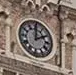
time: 2:00
